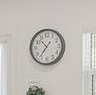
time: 10:36
